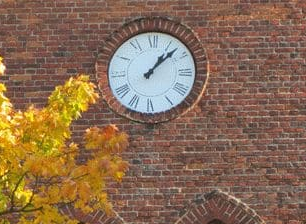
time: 1:07
